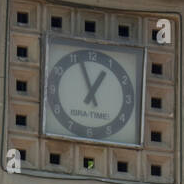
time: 12:56
